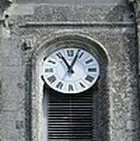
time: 11:03
